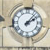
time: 2:07
